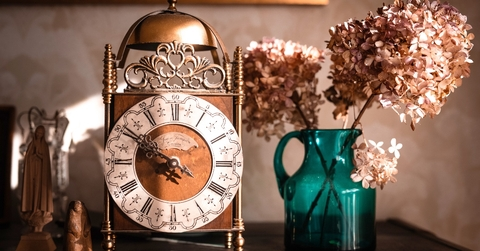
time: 9:50
